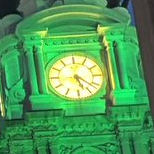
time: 5:21
